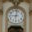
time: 9:01
